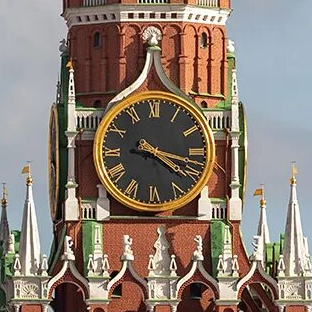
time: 4:17
